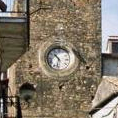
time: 10:32
